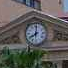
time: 8:01
